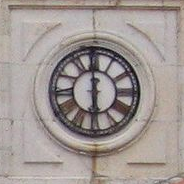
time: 5:59
